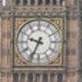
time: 9:34
